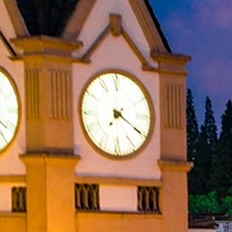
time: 7:20
